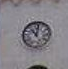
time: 11:02
